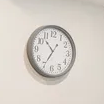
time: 10:35
